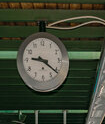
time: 9:21
